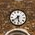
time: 5:38
